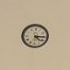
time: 4:14
